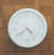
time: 4:38
